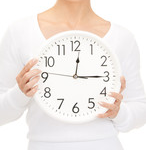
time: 12:14
